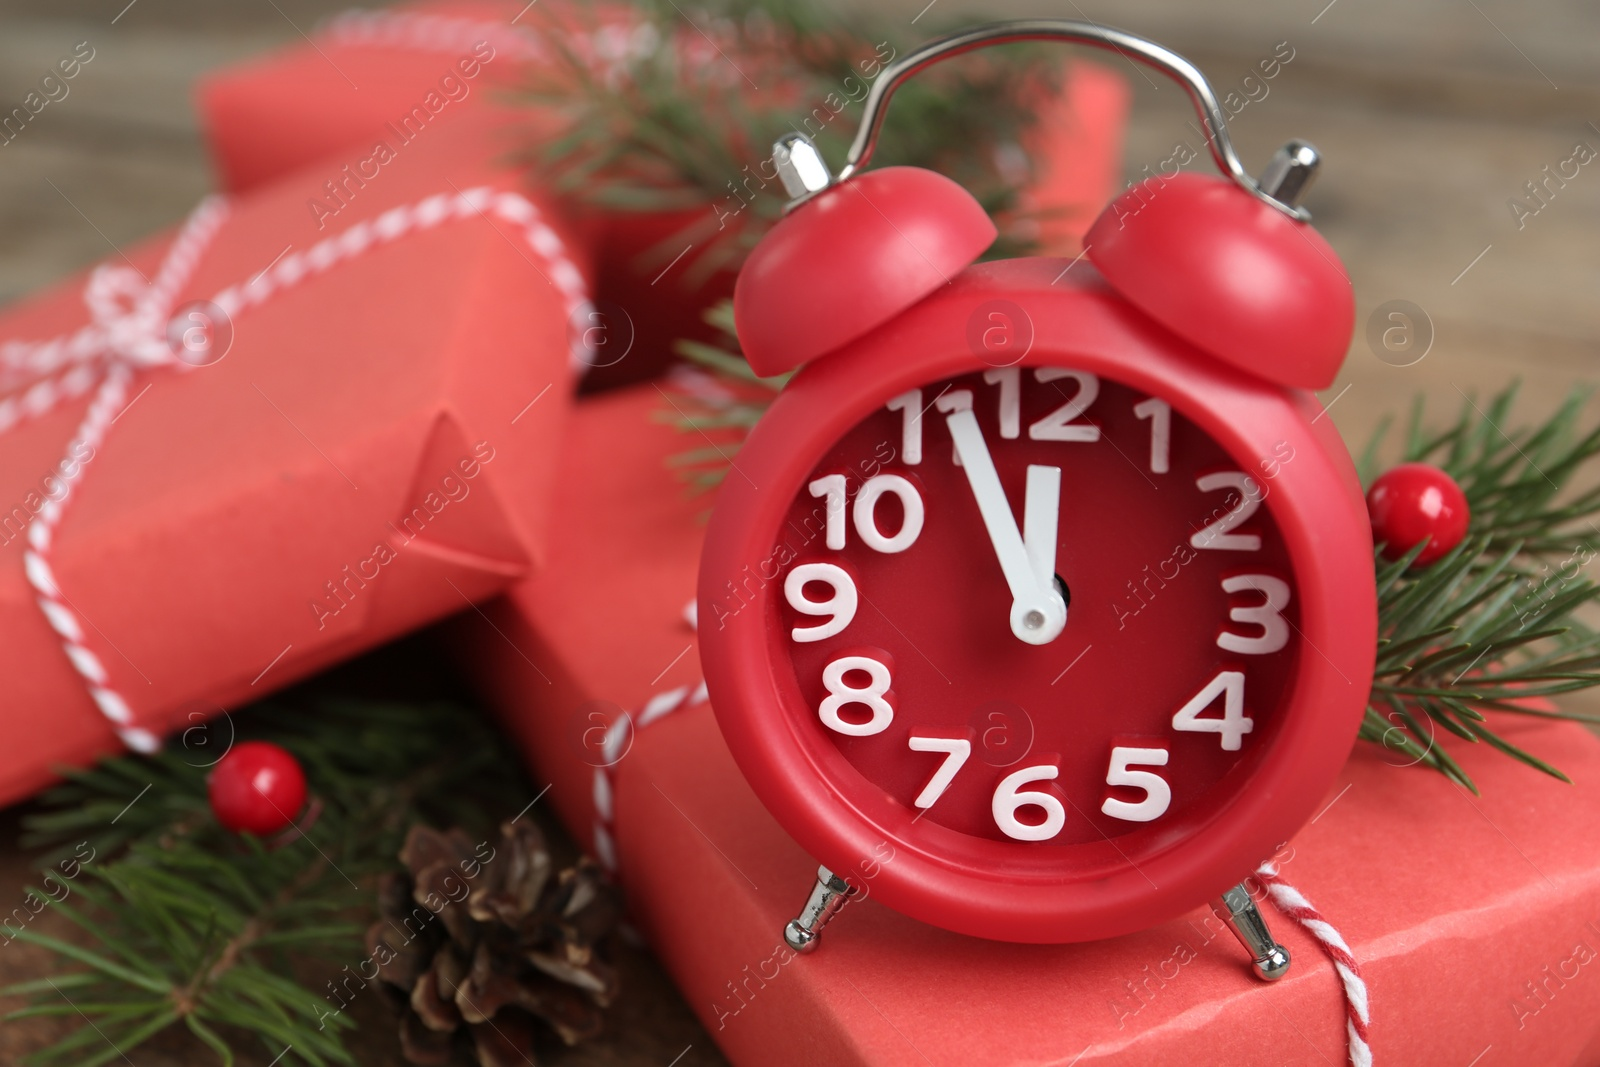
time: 11:55
